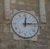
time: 12:13
